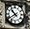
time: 10:39
